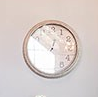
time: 12:50
